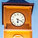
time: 6:18
